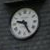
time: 9:25
